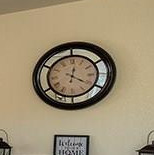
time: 12:20
